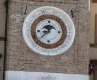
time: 8:38
